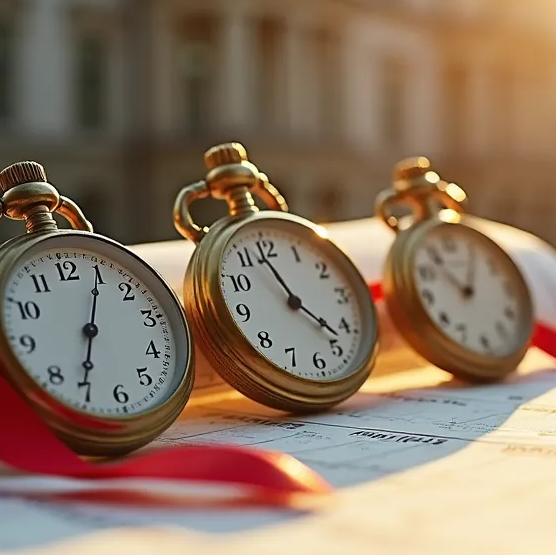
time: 11:22
